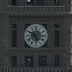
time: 5:50
